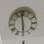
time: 5:59
